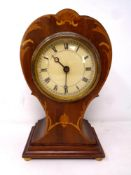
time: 10:30
